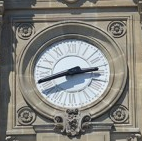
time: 2:42
